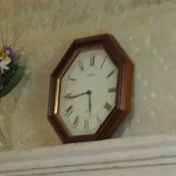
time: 5:43
